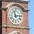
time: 11:13
